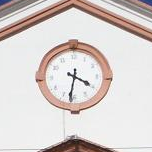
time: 3:31
